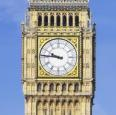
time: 9:45
